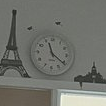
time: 11:20
